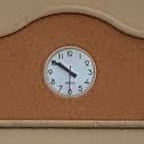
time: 9:50
